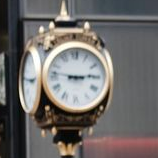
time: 2:46
